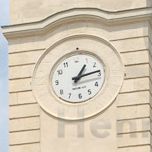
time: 1:13
